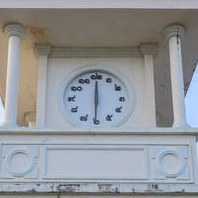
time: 6:00
